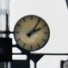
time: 2:05
